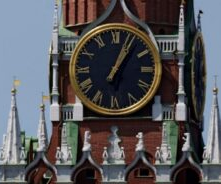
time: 1:03
